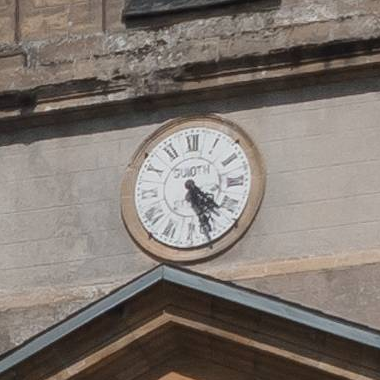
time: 4:26
